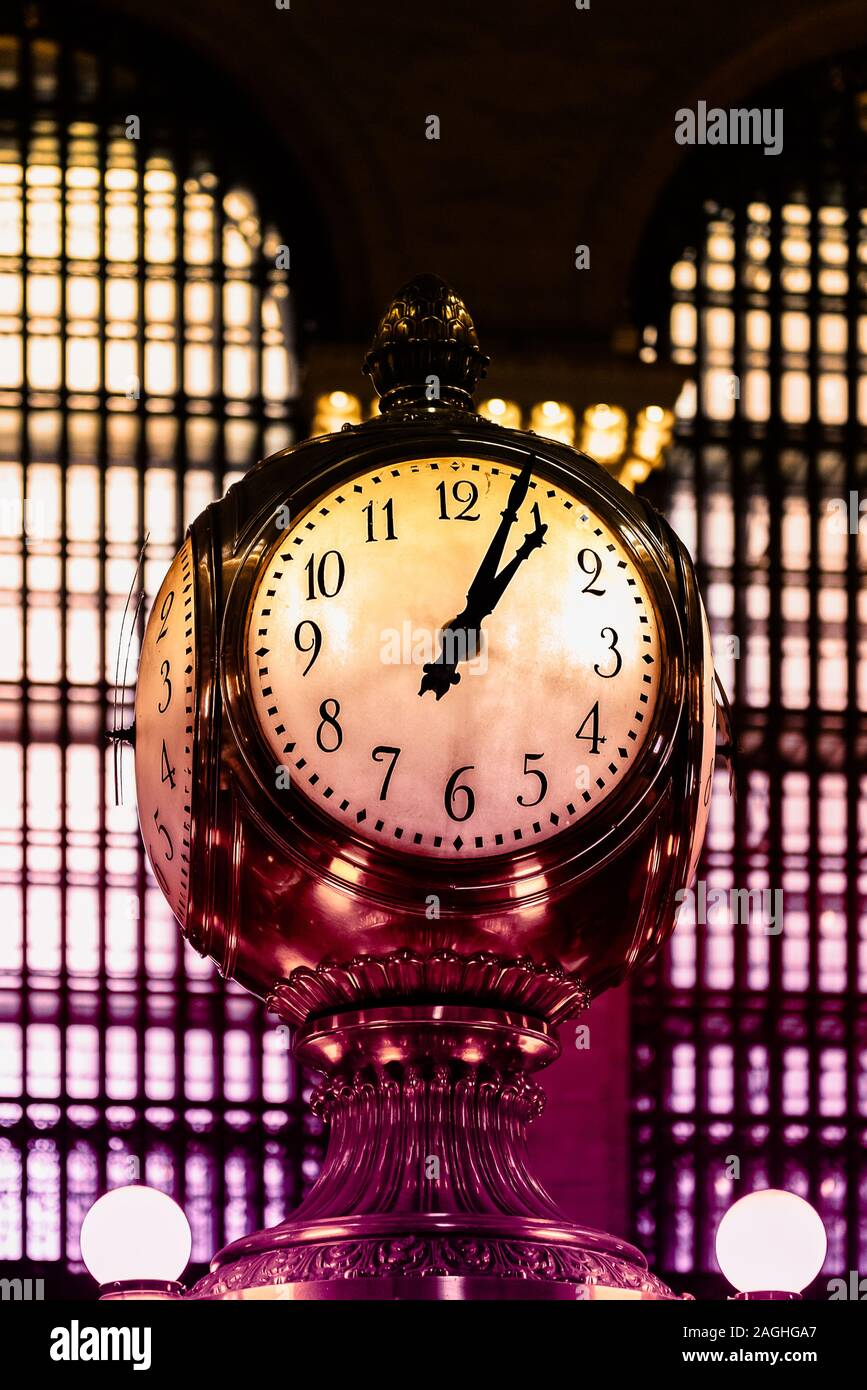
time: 1:03
